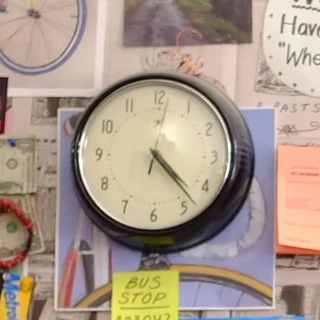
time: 4:22
